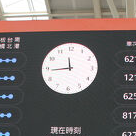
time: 11:44
